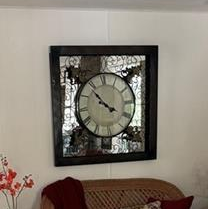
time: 3:52
